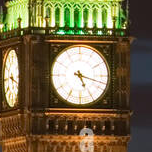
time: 5:17
